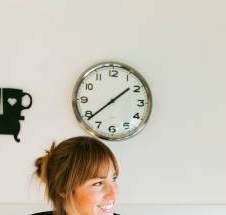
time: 1:38
